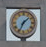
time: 1:34
